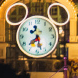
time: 7:27
